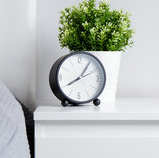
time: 8:05
